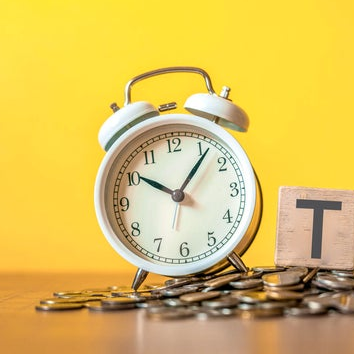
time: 10:07
